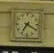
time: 7:19
